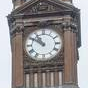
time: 10:50
